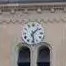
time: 1:28
